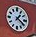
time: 1:20
